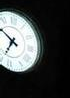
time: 6:50
